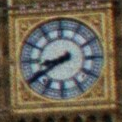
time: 8:39
